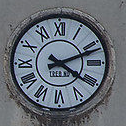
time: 4:11
